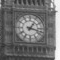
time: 1:17
